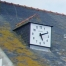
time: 5:11
